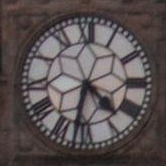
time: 4:32
